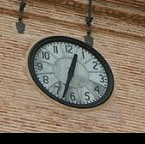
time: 12:32
